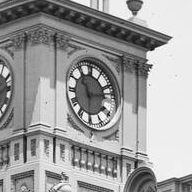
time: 11:13
